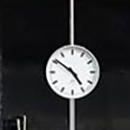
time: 4:51
